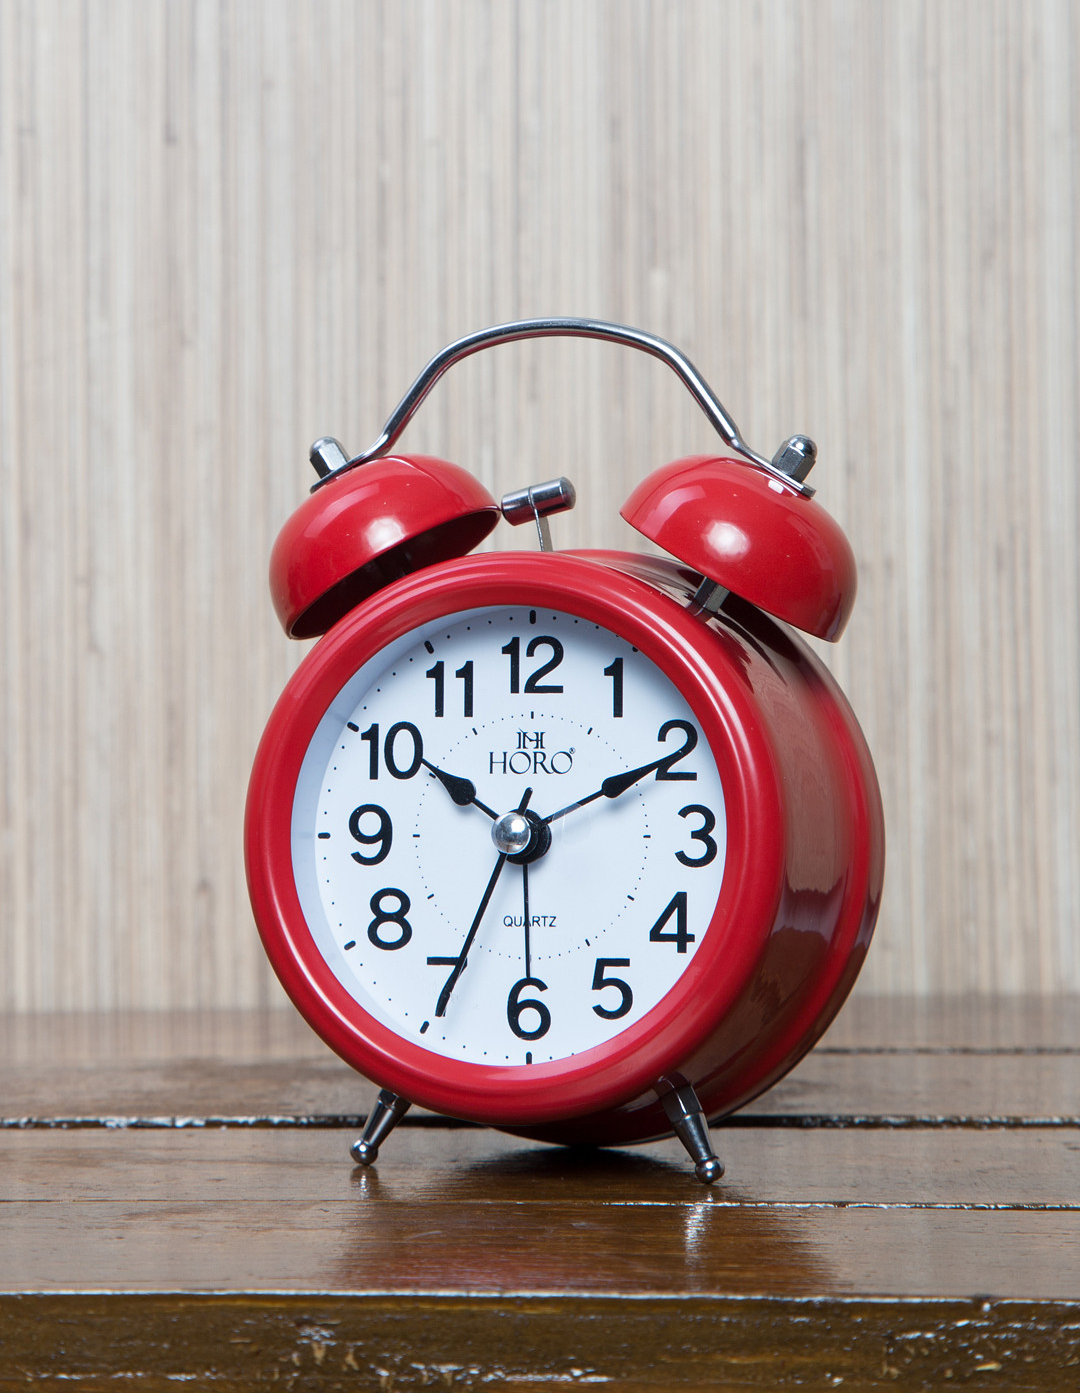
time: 10:10
